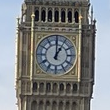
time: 1:00
